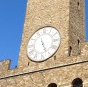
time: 5:26
